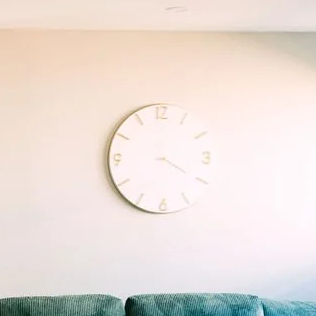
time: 4:20
